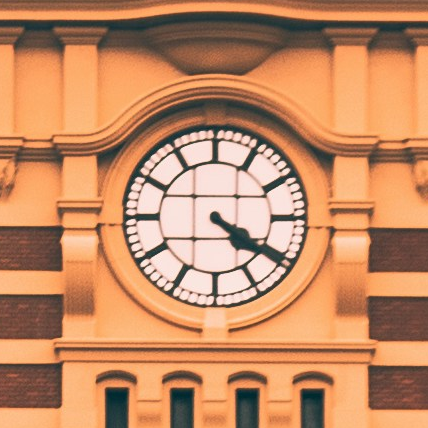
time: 4:20
